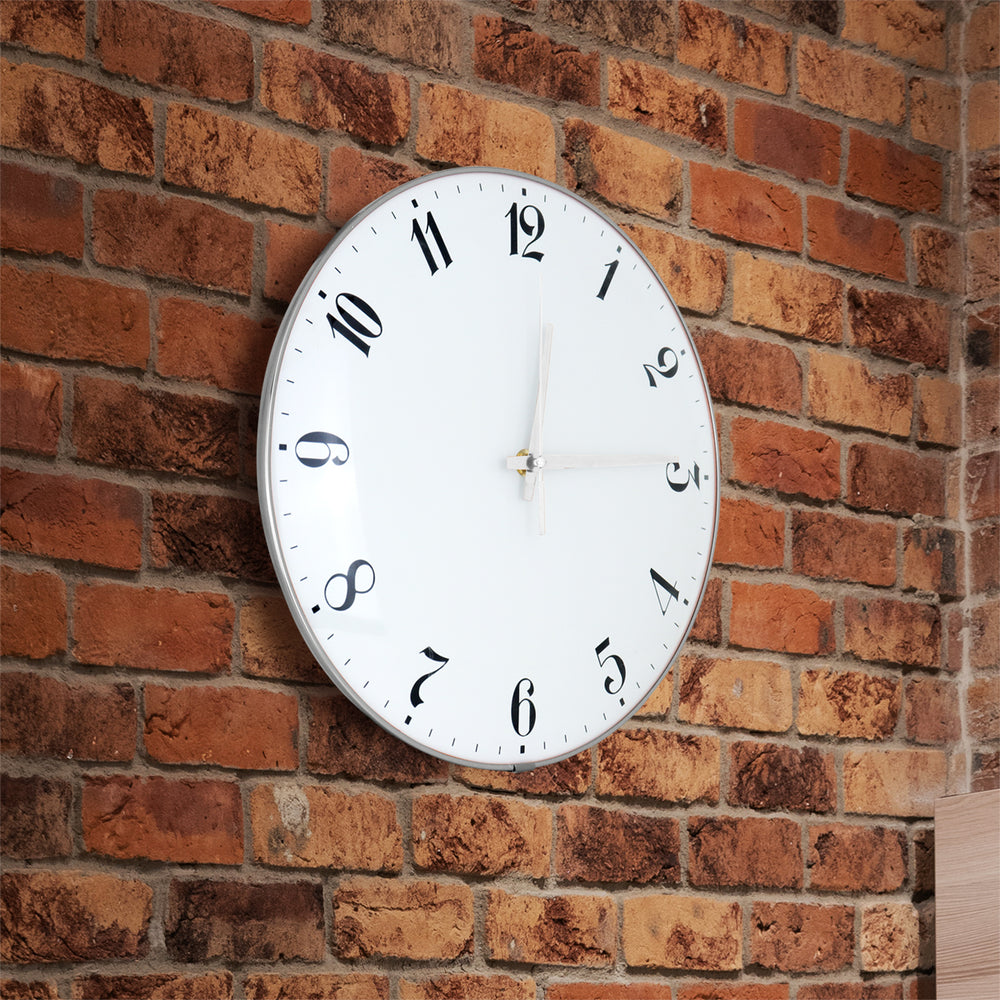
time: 12:14
